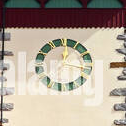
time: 12:16
